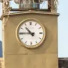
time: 10:45
